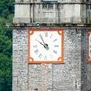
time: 9:54
